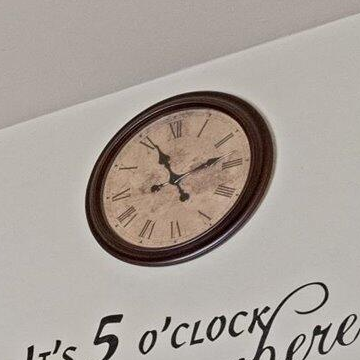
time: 11:12
